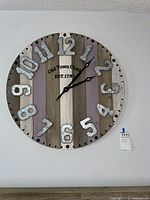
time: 2:06
